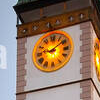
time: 9:08
